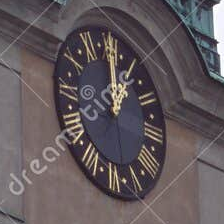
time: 1:00
